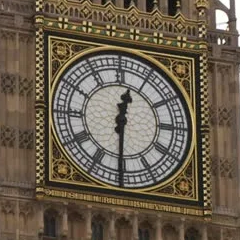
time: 12:30
